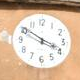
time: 3:50
